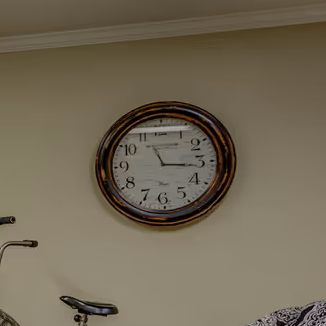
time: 11:16
